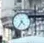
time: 4:35
